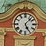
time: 5:07
